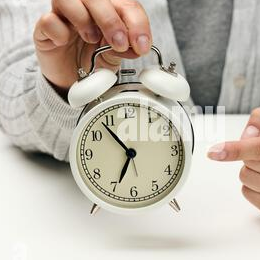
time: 6:53
